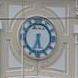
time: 5:33
